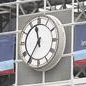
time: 11:35
